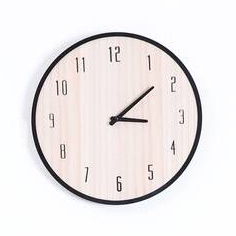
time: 3:08
